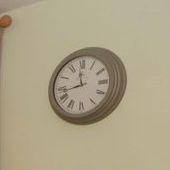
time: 11:42
